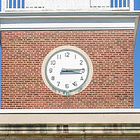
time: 3:14
